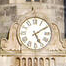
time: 5:09
